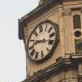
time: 9:18
